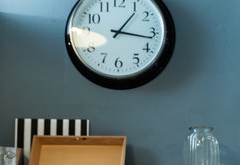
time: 1:16
